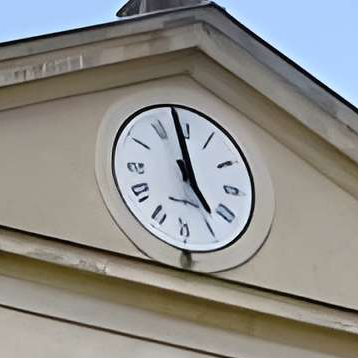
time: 4:58
